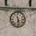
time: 11:28
